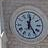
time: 12:24
